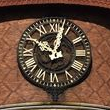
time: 10:02
